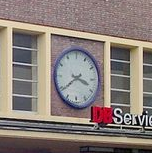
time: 3:39
